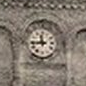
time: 11:43
